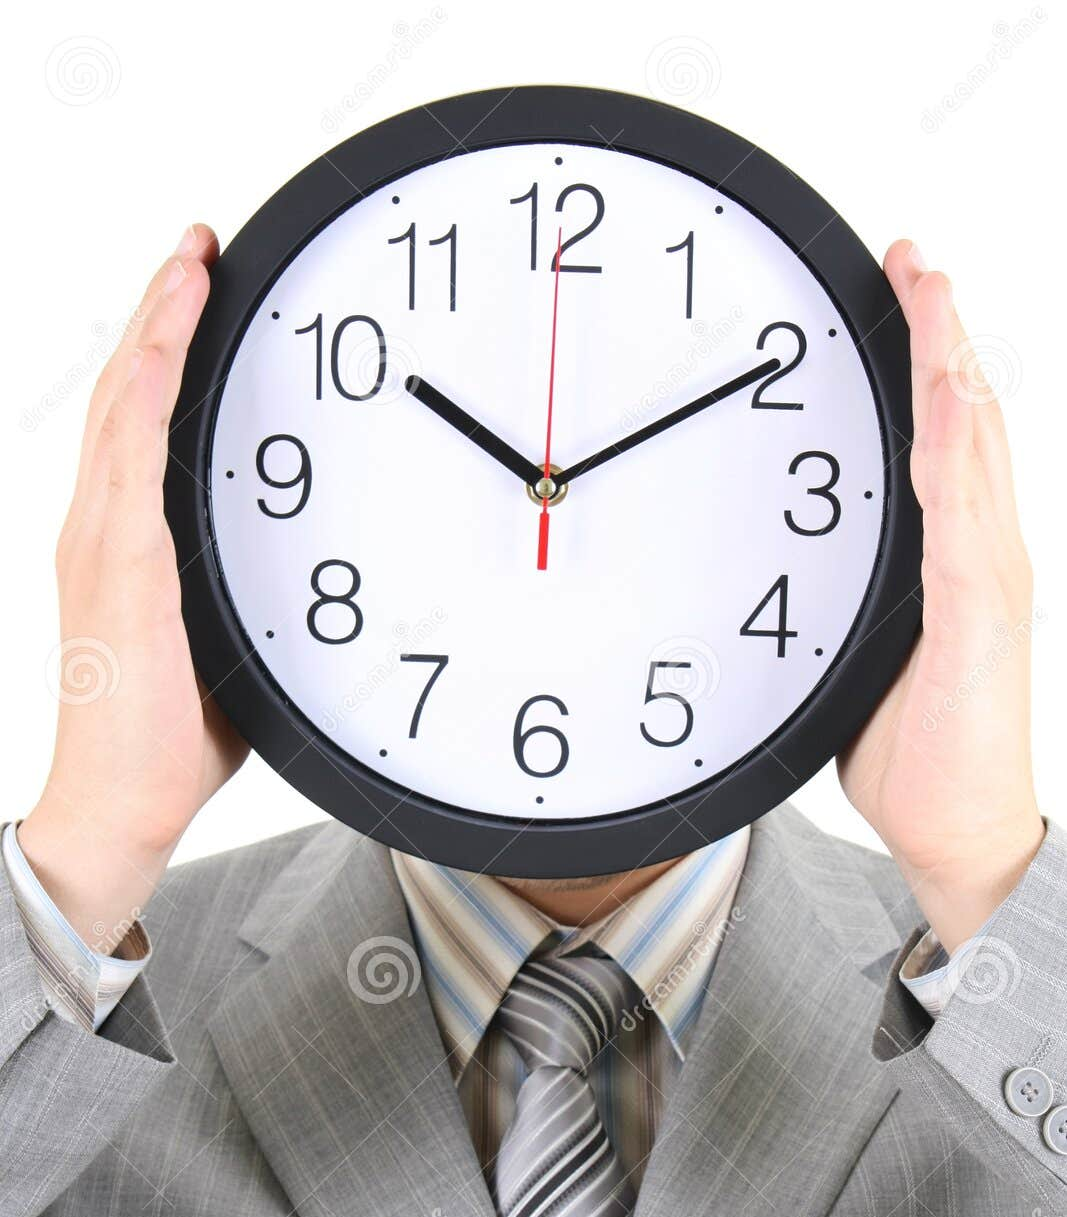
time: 10:09
